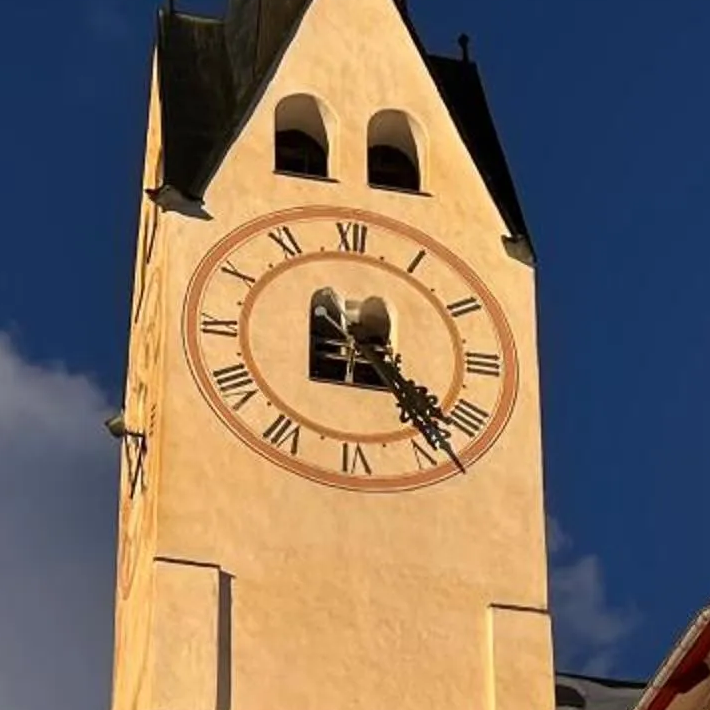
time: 4:23
